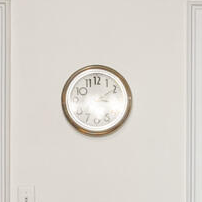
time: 2:09
